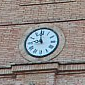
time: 8:58
